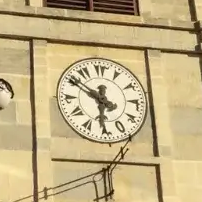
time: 5:50
